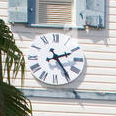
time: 2:24
